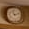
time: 11:12
